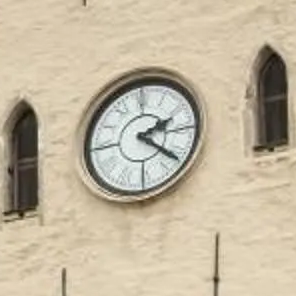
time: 2:21
